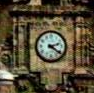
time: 2:21
